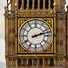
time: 2:12
